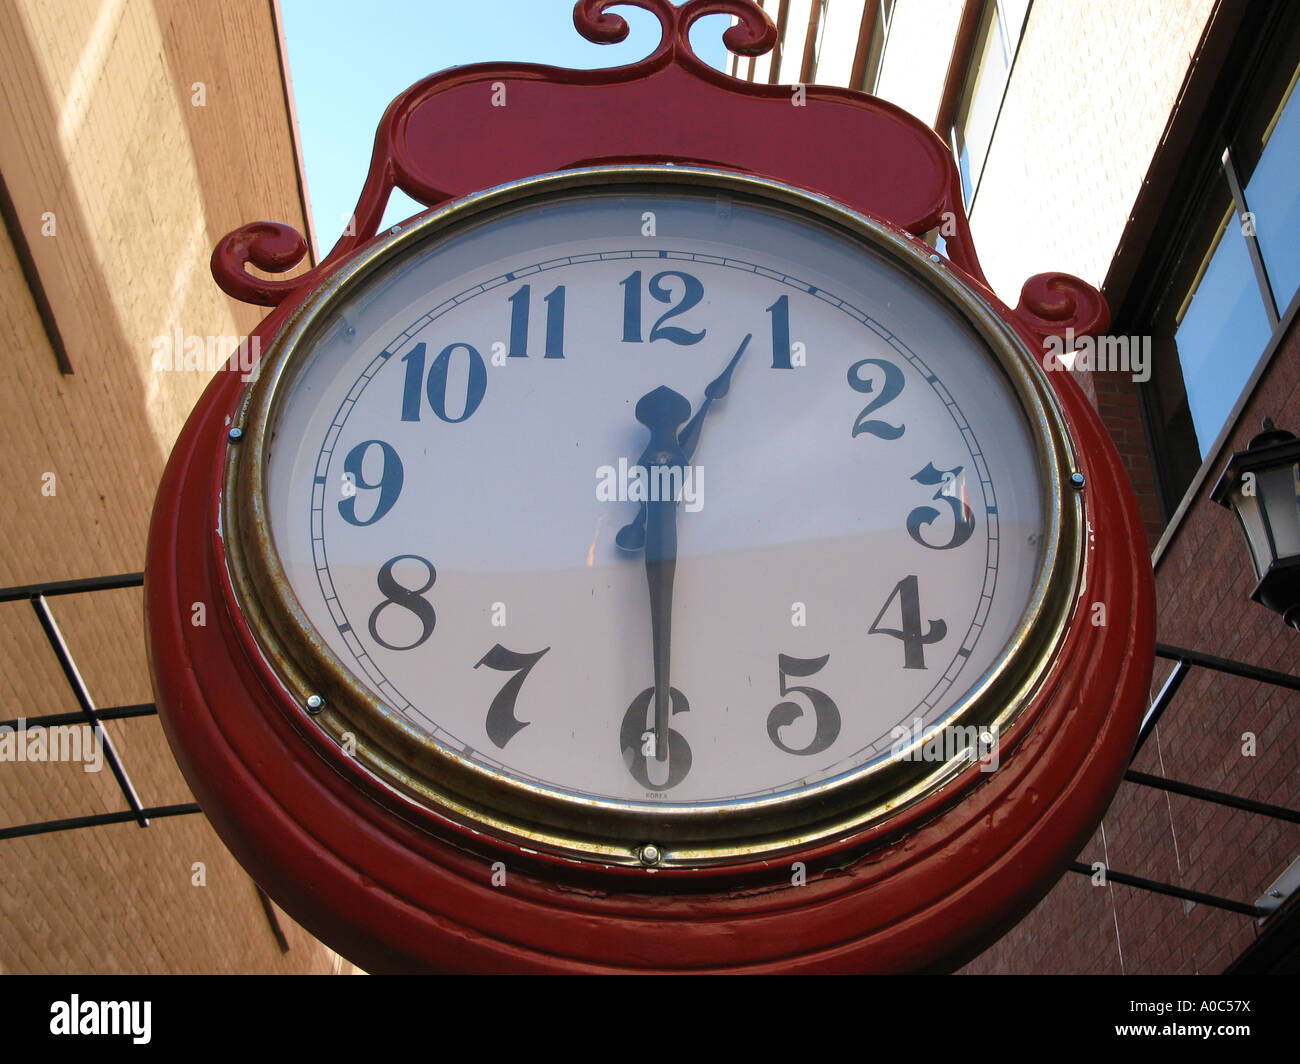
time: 12:29
